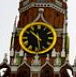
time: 10:28
